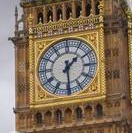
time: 1:29
